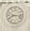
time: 8:16
